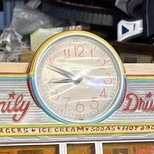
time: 8:48
